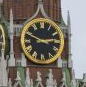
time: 2:48
